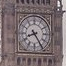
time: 8:24
